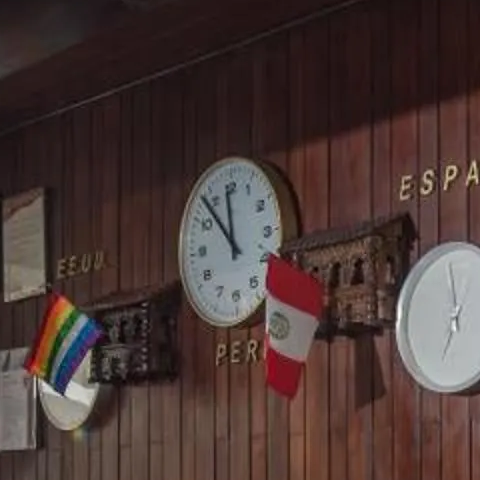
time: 11:53
